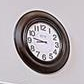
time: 8:46
